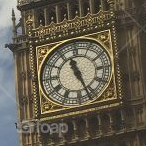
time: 11:26
